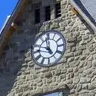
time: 4:46
